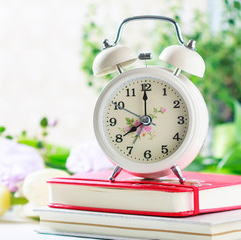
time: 7:59
